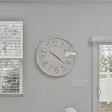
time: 10:21
